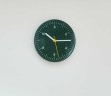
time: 10:14
